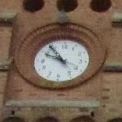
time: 9:54
